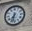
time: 7:32
